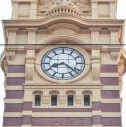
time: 8:21
